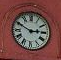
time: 2:49
